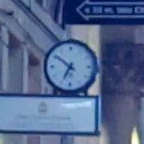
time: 6:51
